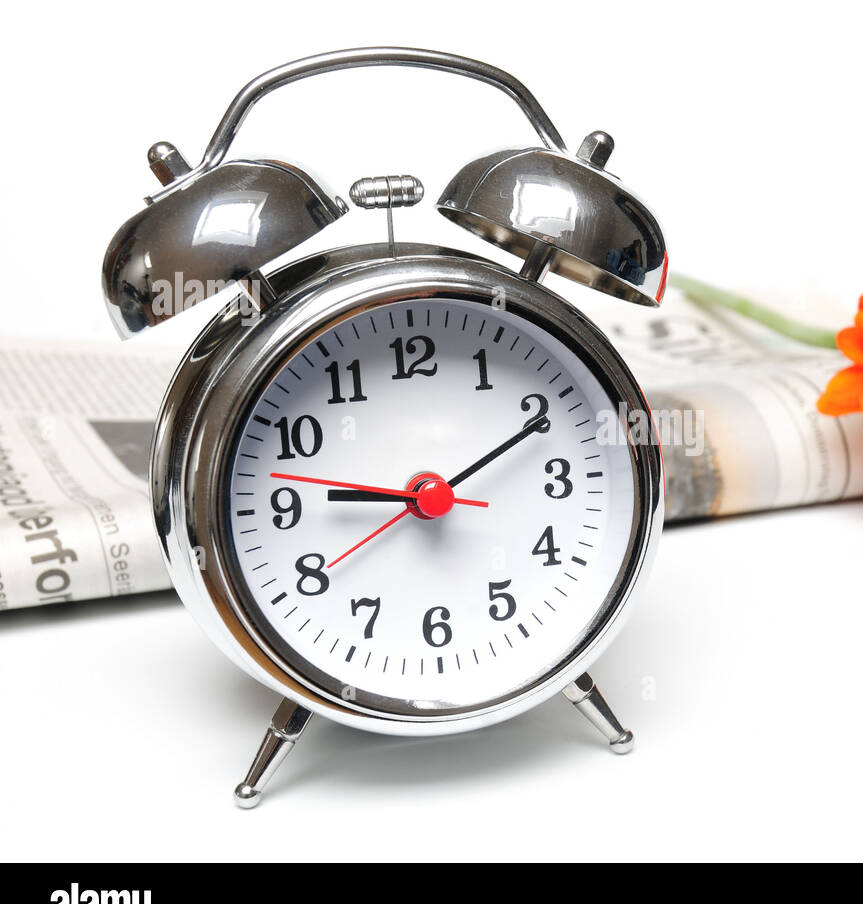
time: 9:10
